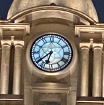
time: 6:38
